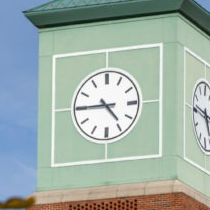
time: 4:44
